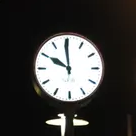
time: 9:59
